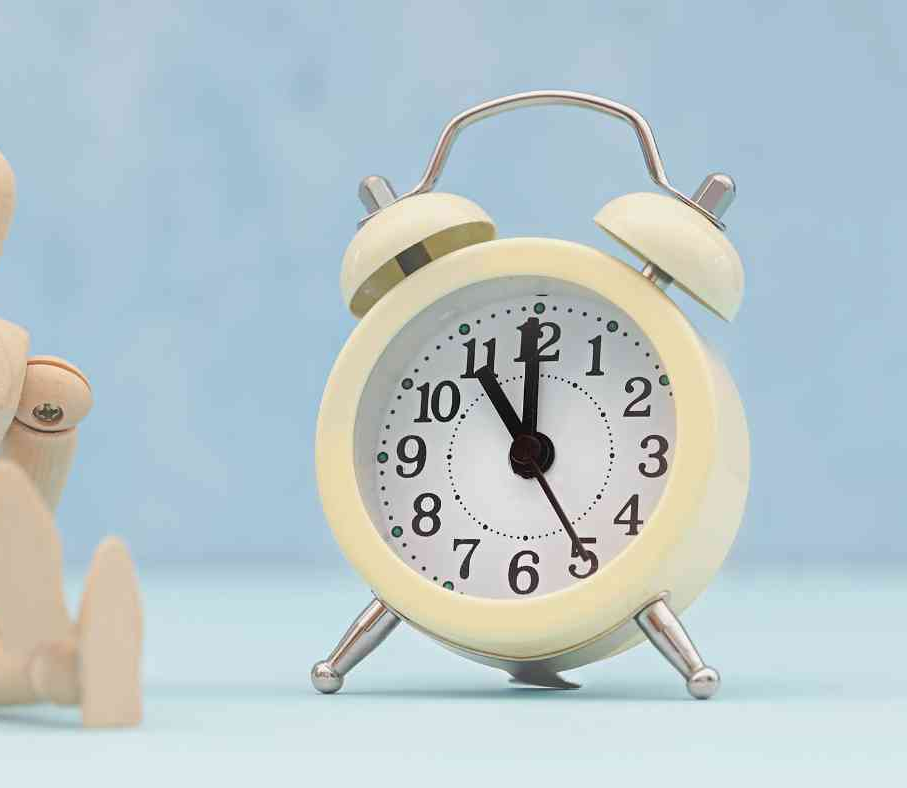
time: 10:59
